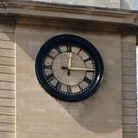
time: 12:15
